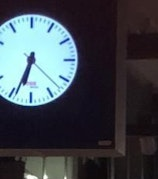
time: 6:34
